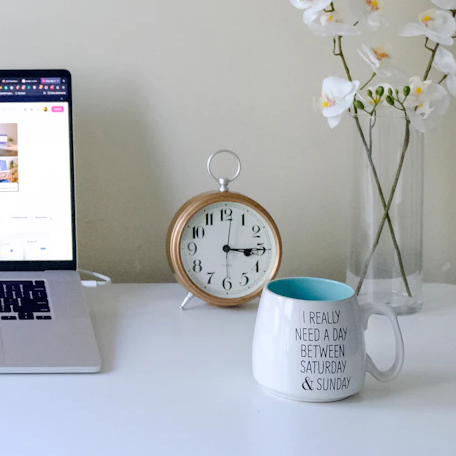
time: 3:14
